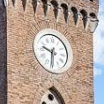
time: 9:31
